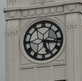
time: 5:16
